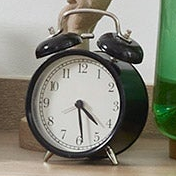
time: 4:29
